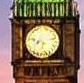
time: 7:12
